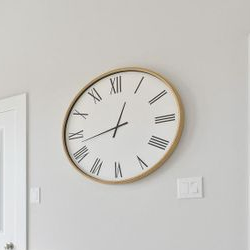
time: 12:42
